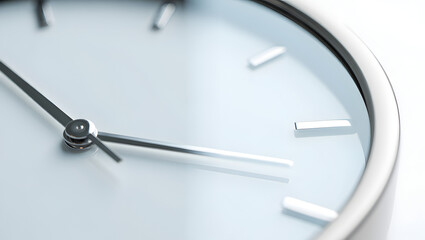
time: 10:17
